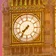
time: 7:36
